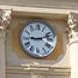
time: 9:12
